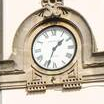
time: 1:33
